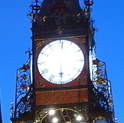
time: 5:29
